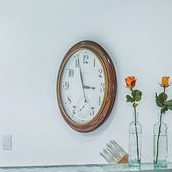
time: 2:56
